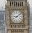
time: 9:08
